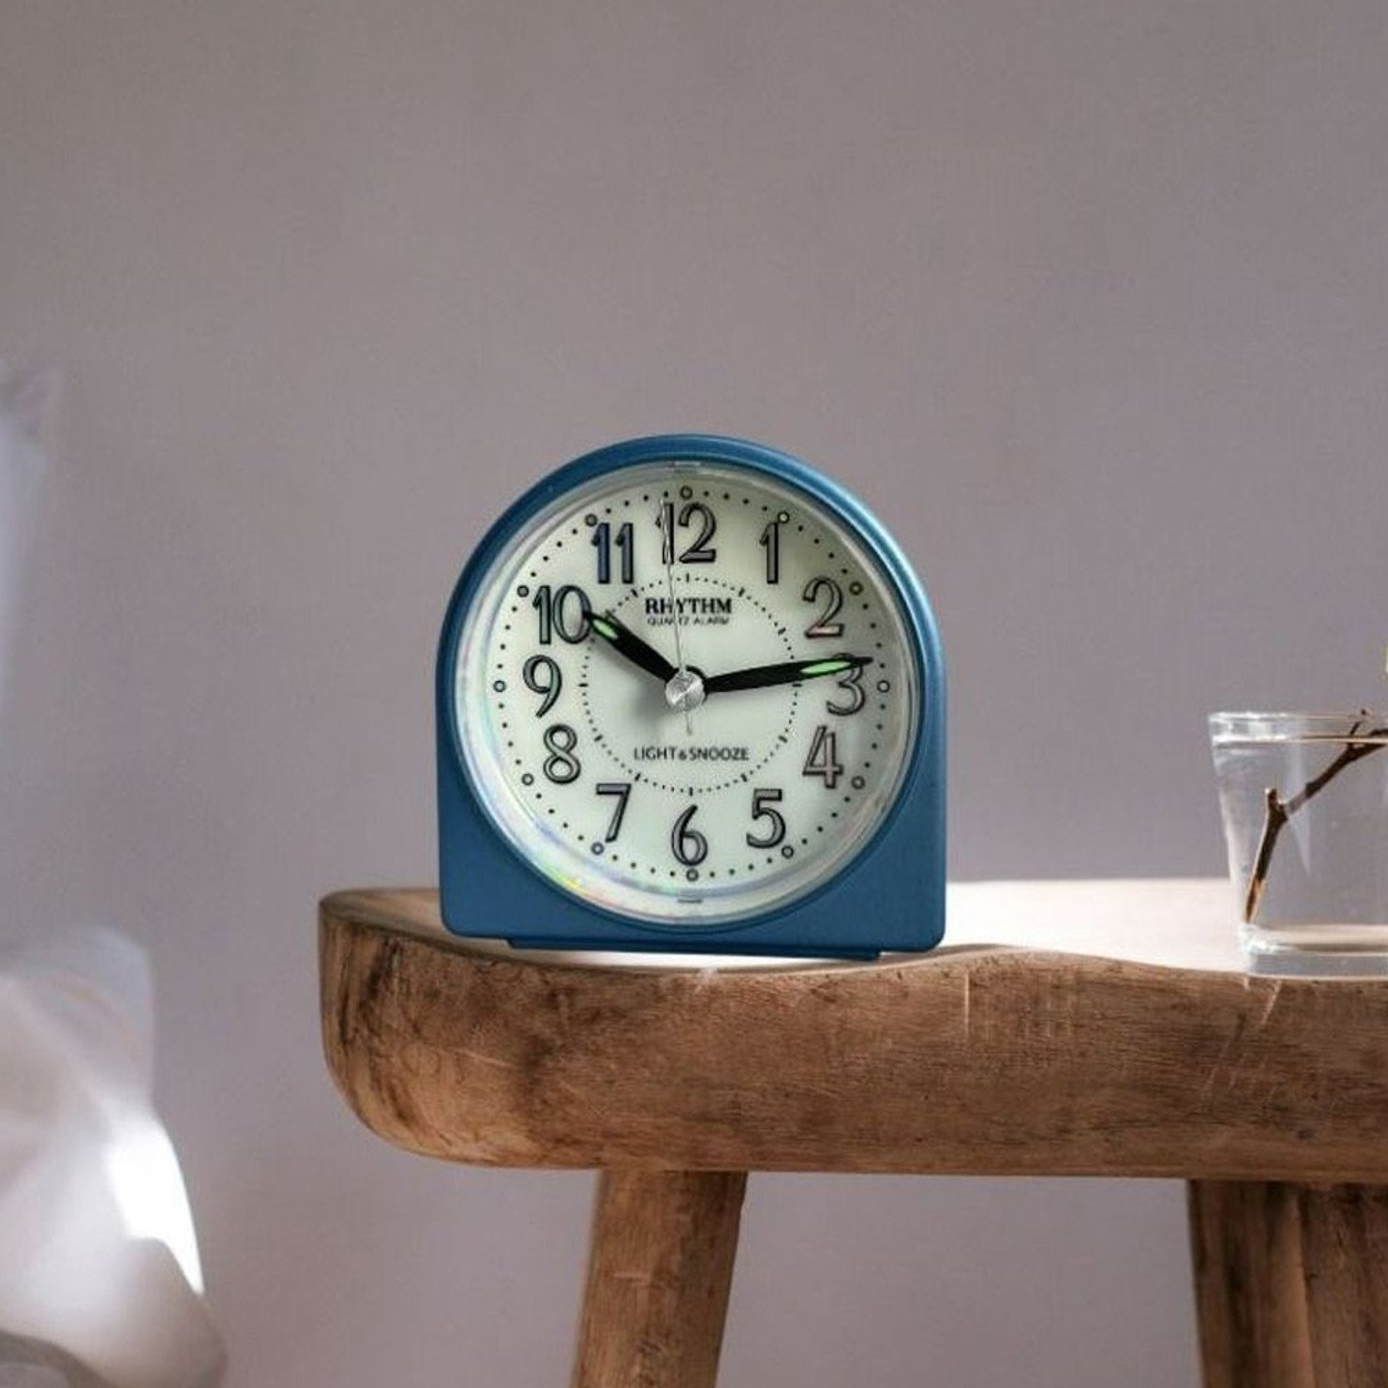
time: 10:13
